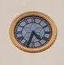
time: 4:33
